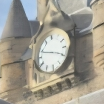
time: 3:48
